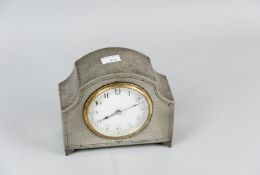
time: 8:11
